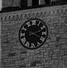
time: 2:18
